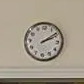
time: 2:09
